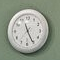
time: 11:25
